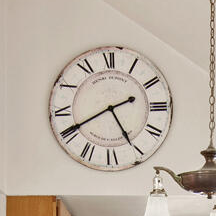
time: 4:40
